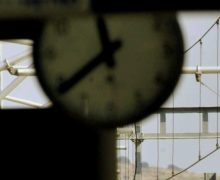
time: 11:38
